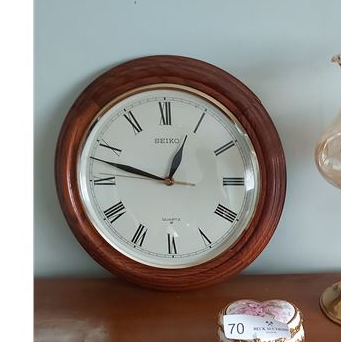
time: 12:47
